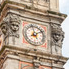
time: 5:09
